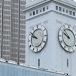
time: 9:51
